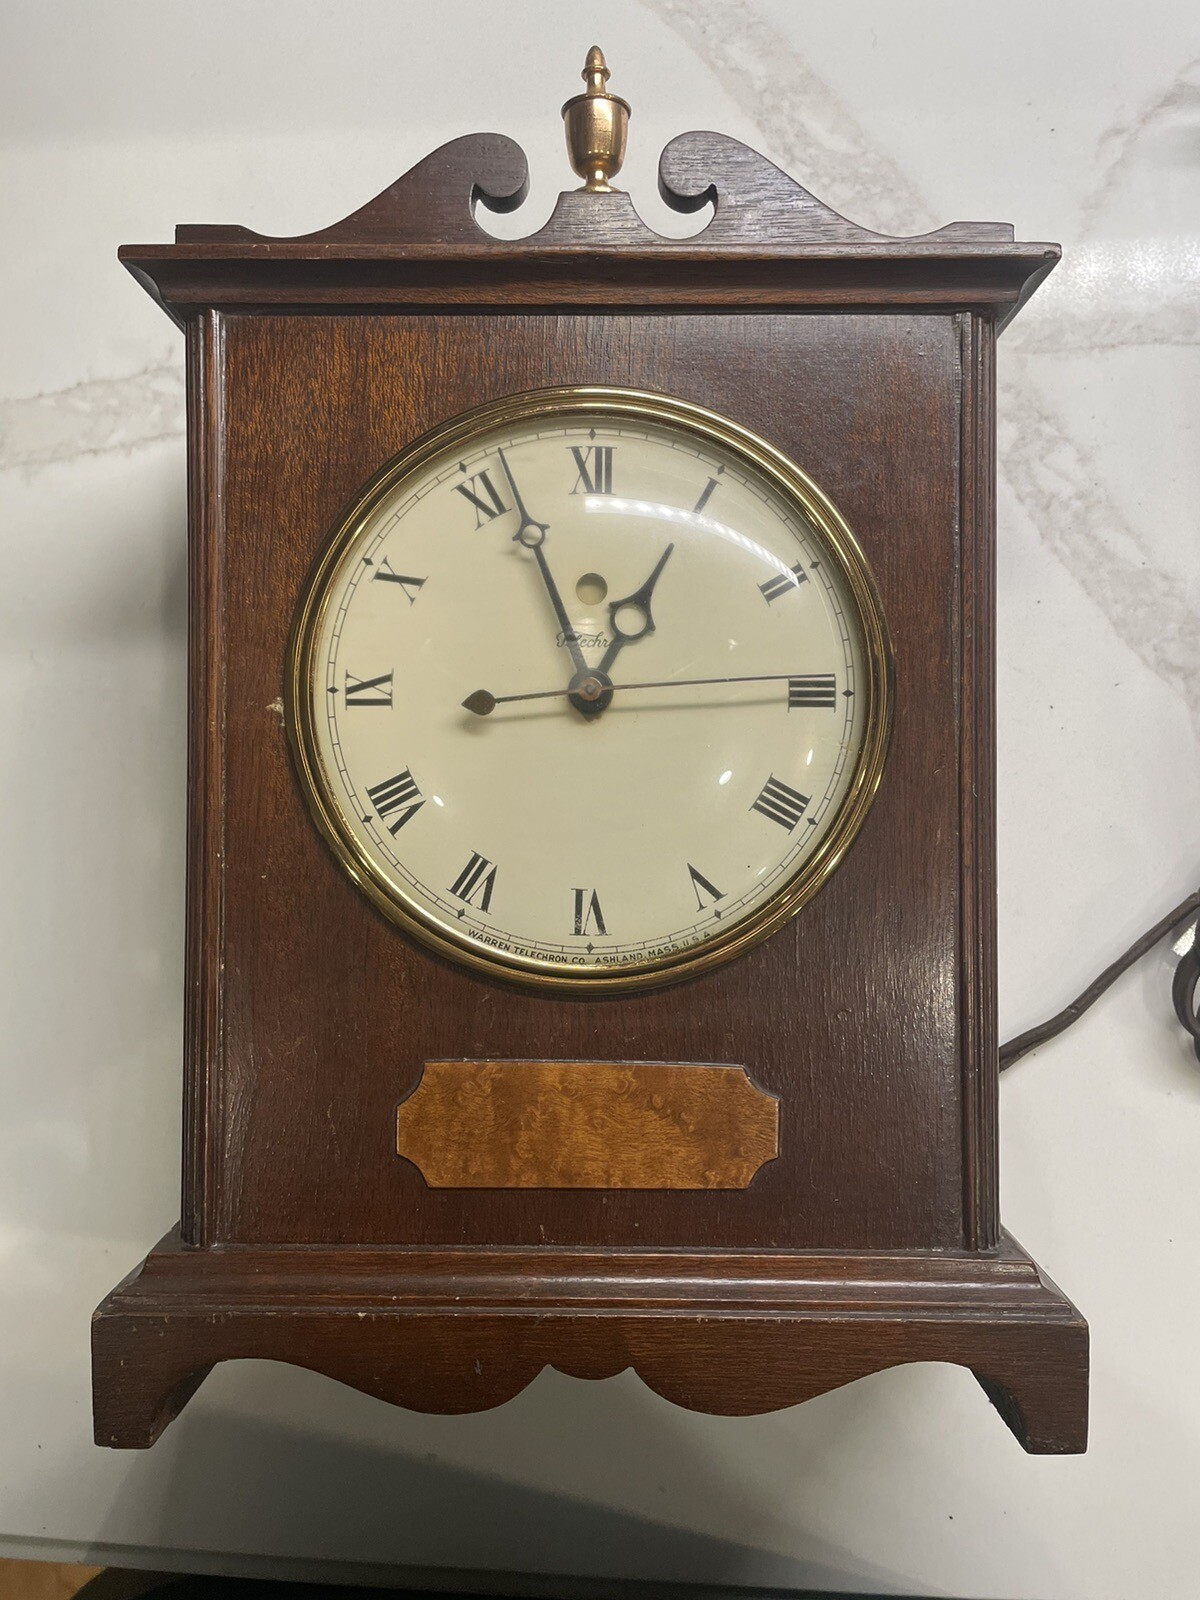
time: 12:56
